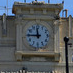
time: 11:45
